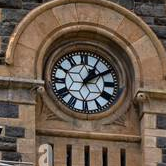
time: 1:09
